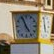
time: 4:56
